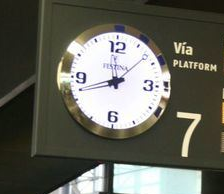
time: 1:41
